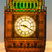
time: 9:20
